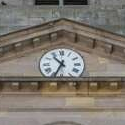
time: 10:34
